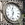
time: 11:32
